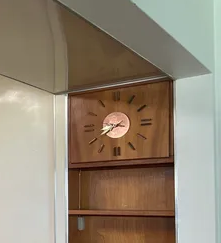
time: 8:39
